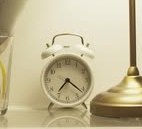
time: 7:21
